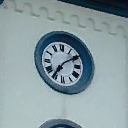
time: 7:09
